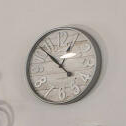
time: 12:52
